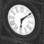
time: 6:07
